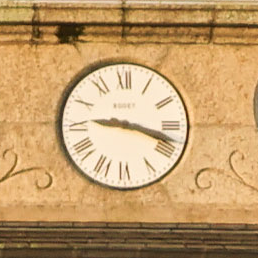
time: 9:18
